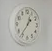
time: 12:36
